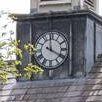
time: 3:58
